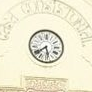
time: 5:38
